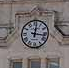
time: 12:16
